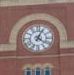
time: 4:04
